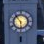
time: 5:54
